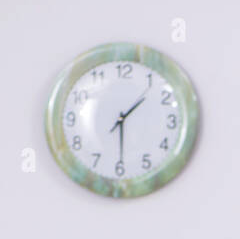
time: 1:29
